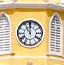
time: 11:00
